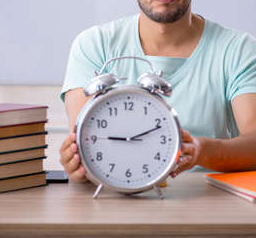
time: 9:11
